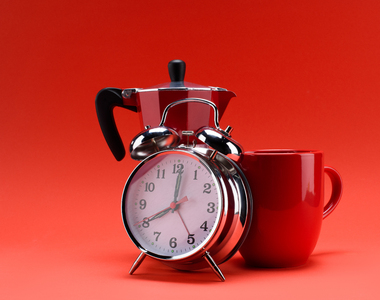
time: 8:01
